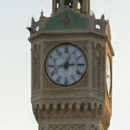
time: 12:43
